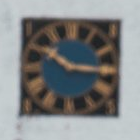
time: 10:15
